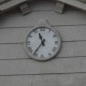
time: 11:36
